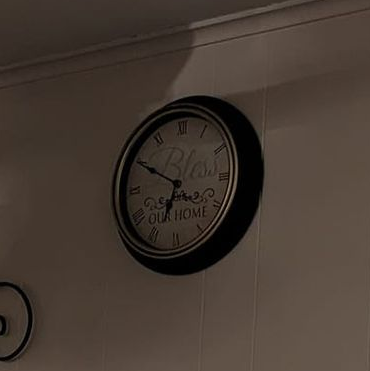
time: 6:49
